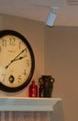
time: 2:08
